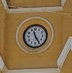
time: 11:25
